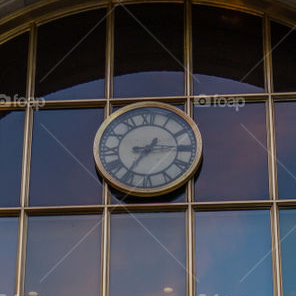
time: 7:14
